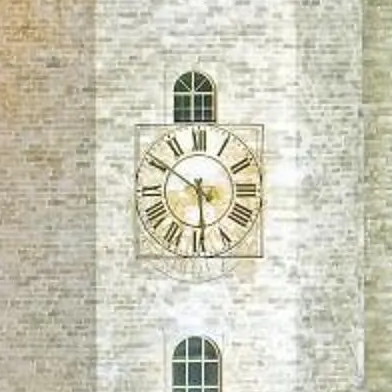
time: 5:50
